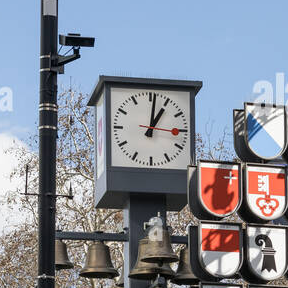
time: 1:01
